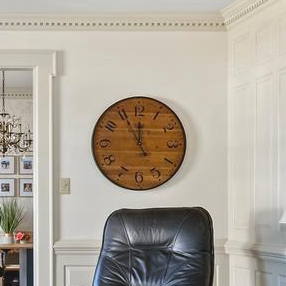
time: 11:55
